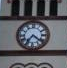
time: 7:21
